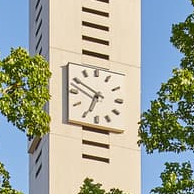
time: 6:49
